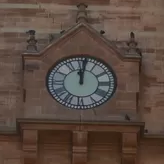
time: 12:01
